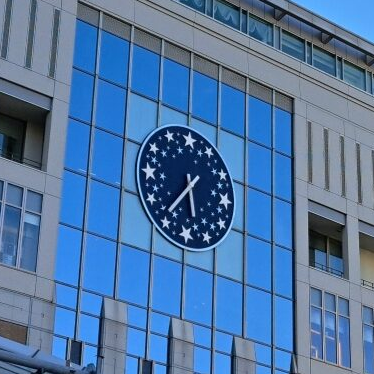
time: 5:36
